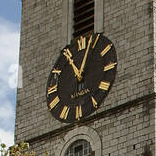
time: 11:03
